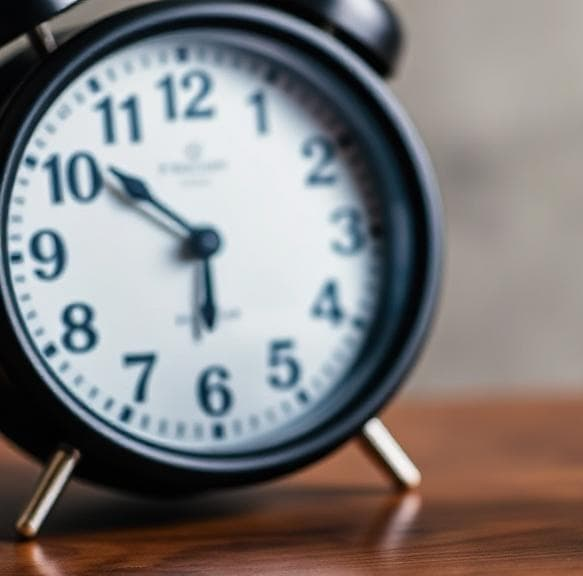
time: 5:51
